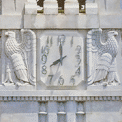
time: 7:59
